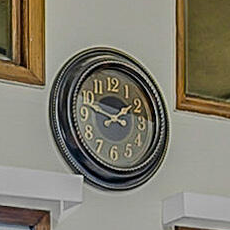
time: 1:47
